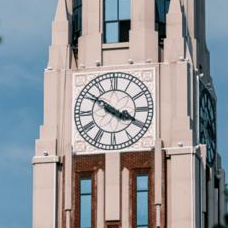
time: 3:50
